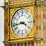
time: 3:43
